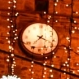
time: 7:20
